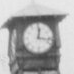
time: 12:17
